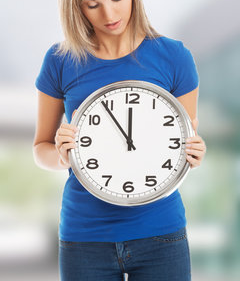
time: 11:53
